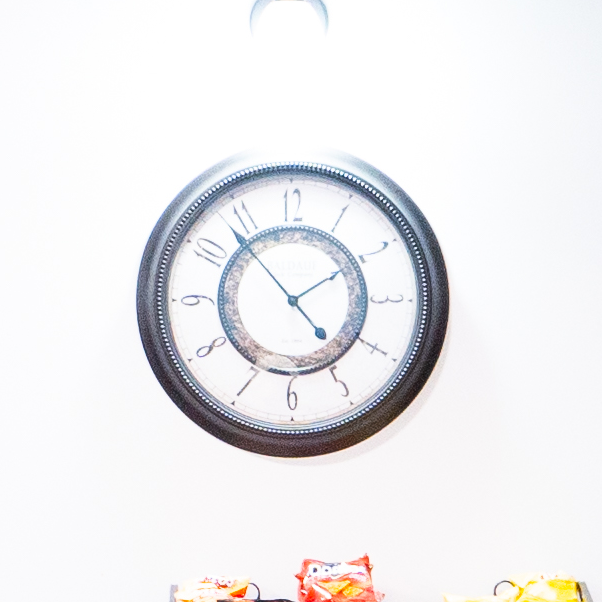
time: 1:53
